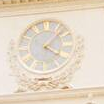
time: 4:07
